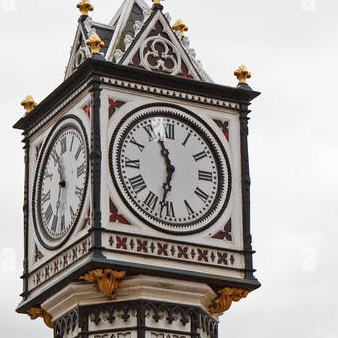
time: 11:32
